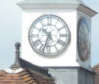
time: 10:33
